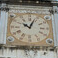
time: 10:03
